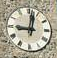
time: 9:01
